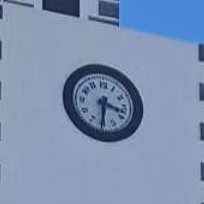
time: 3:30
